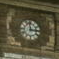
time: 2:58
